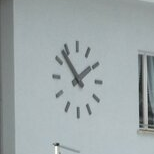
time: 1:53
